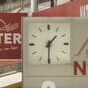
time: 1:30
